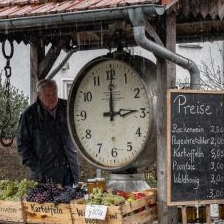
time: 3:00
